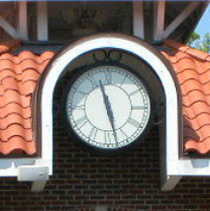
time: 11:27
